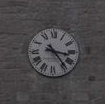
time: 3:23
